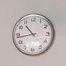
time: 10:43
